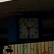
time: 2:29
